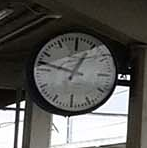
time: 12:47
